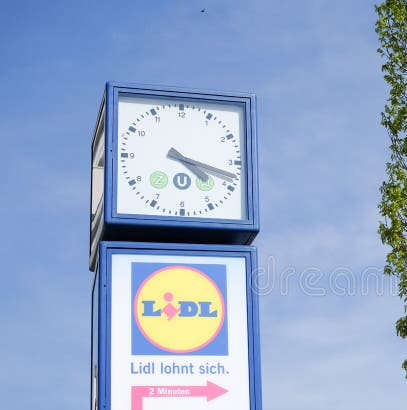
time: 4:17
